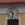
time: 10:32
